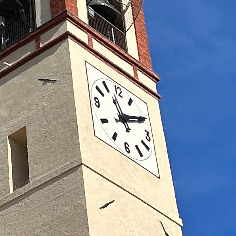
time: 11:10
